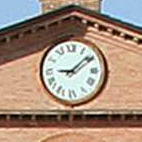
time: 9:08
